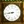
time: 8:44
